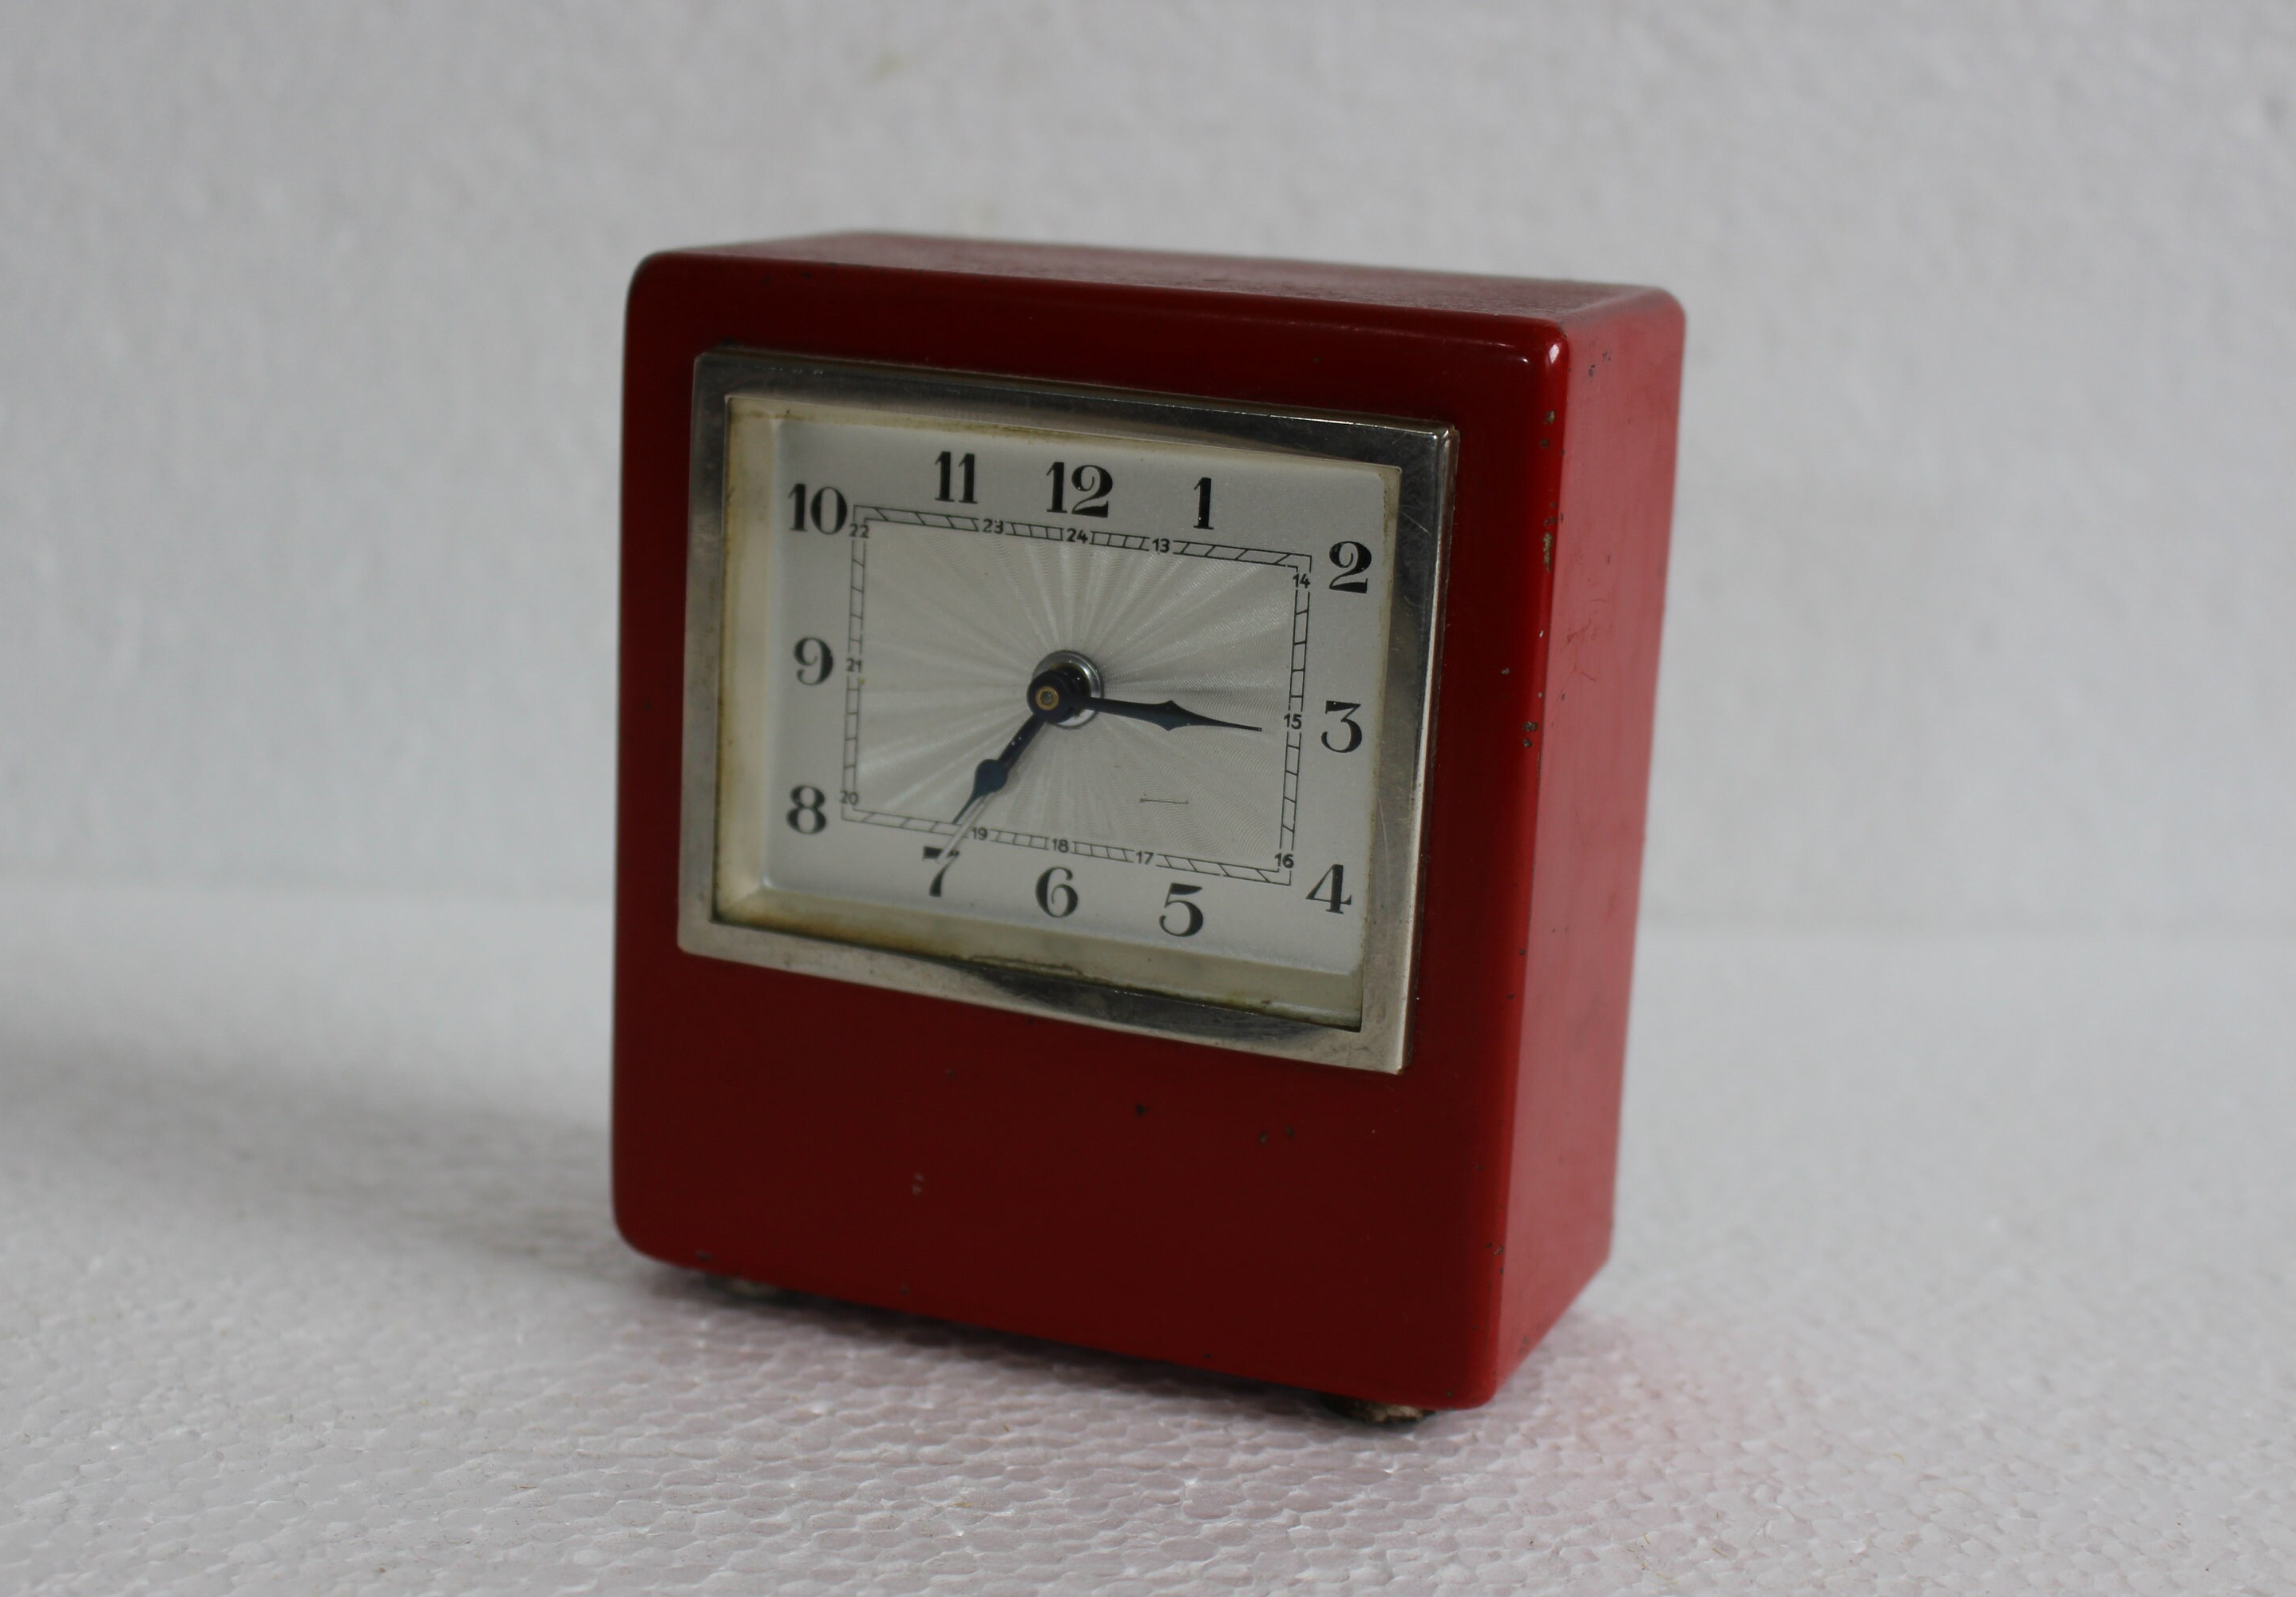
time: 7:15
